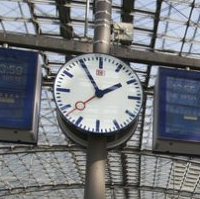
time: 1:55
